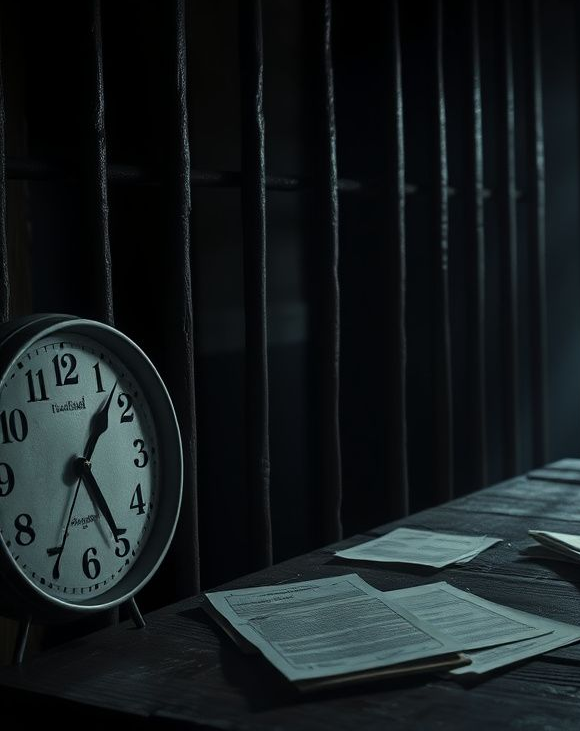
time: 1:25
